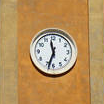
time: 11:33
